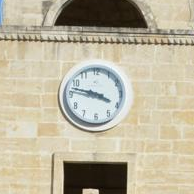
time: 3:47
